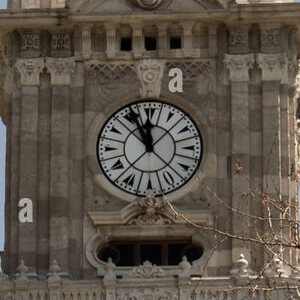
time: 11:55
